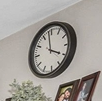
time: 3:58
